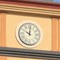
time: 10:00
